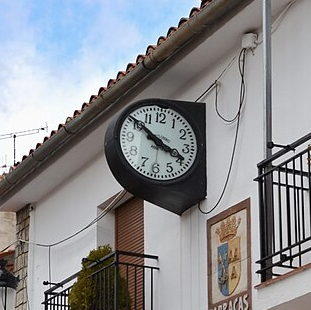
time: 3:50
